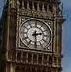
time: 2:29
